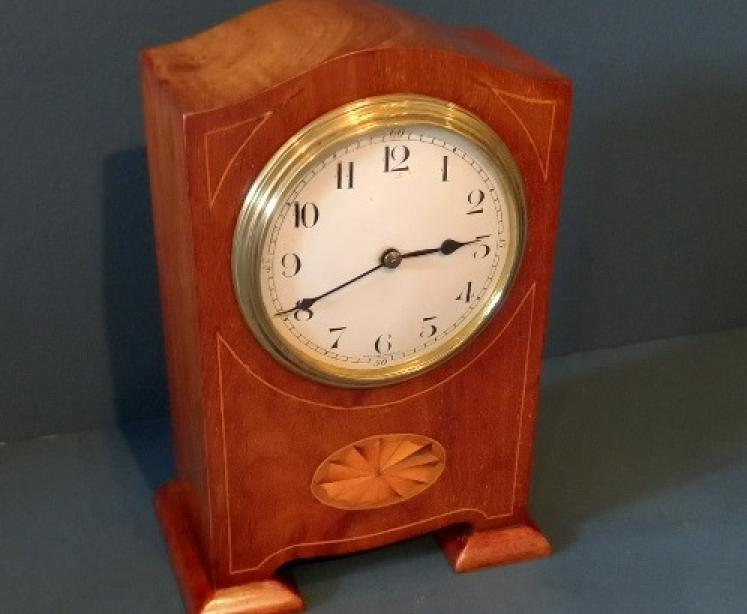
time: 2:40
